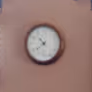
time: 10:38
